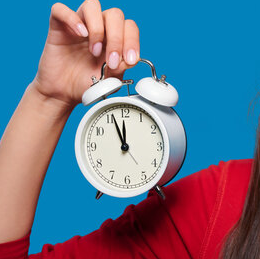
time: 11:56
